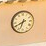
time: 6:40
